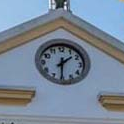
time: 1:30
